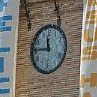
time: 11:45
